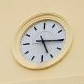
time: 5:15
